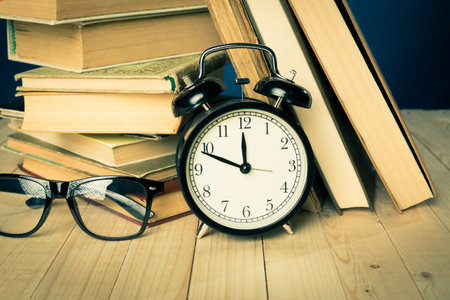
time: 11:48
